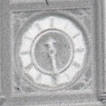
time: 11:28
